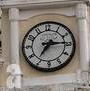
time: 7:14
